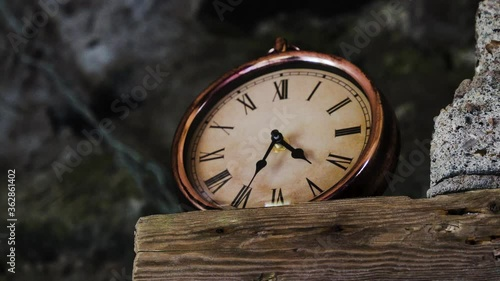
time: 4:34
